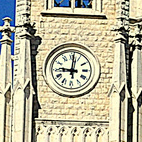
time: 9:01
